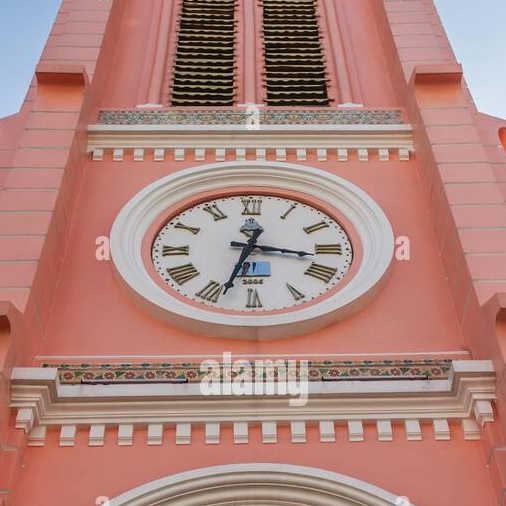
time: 3:33
